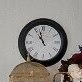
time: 10:57
